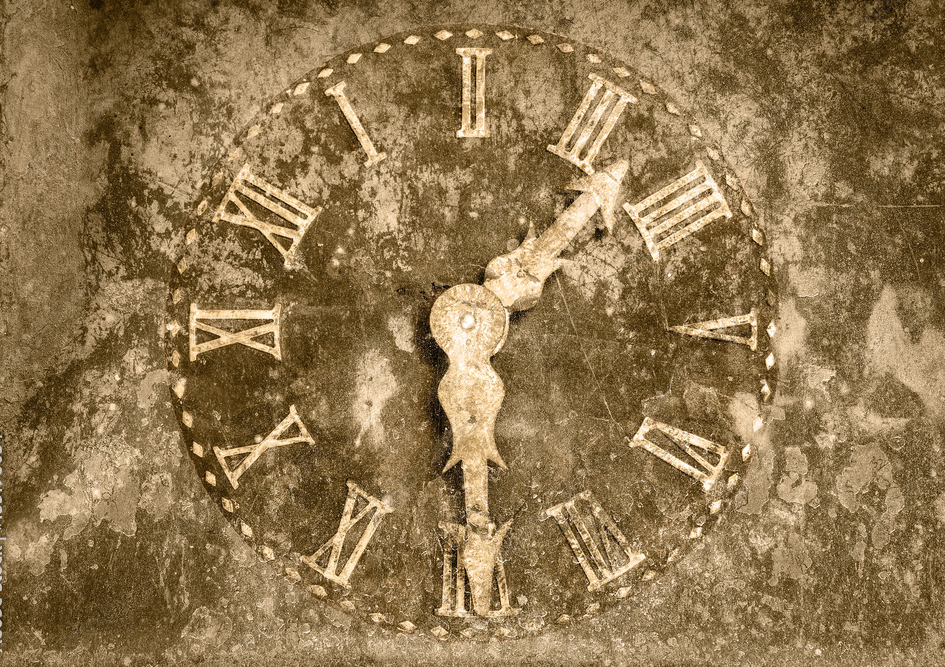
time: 1:28
